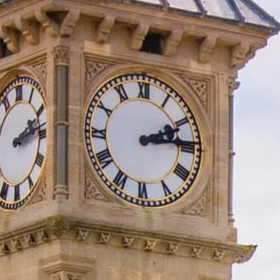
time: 2:14
